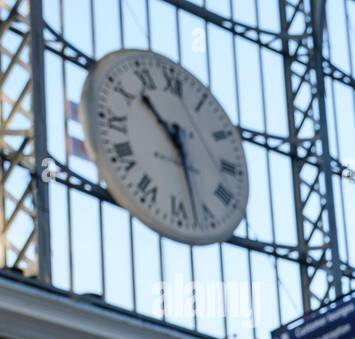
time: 10:28
